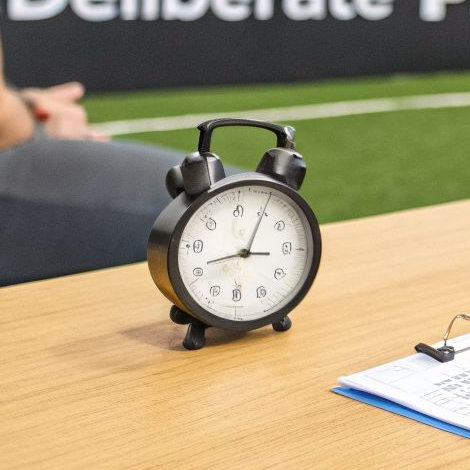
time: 3:04
